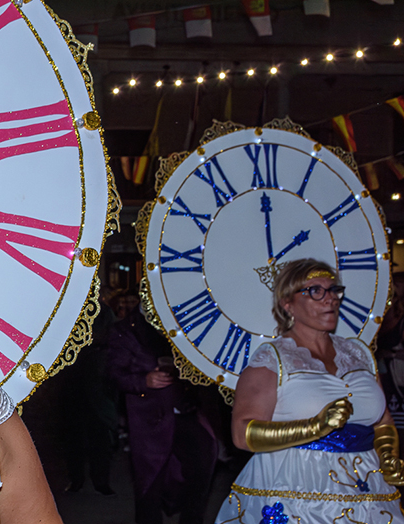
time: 2:00
